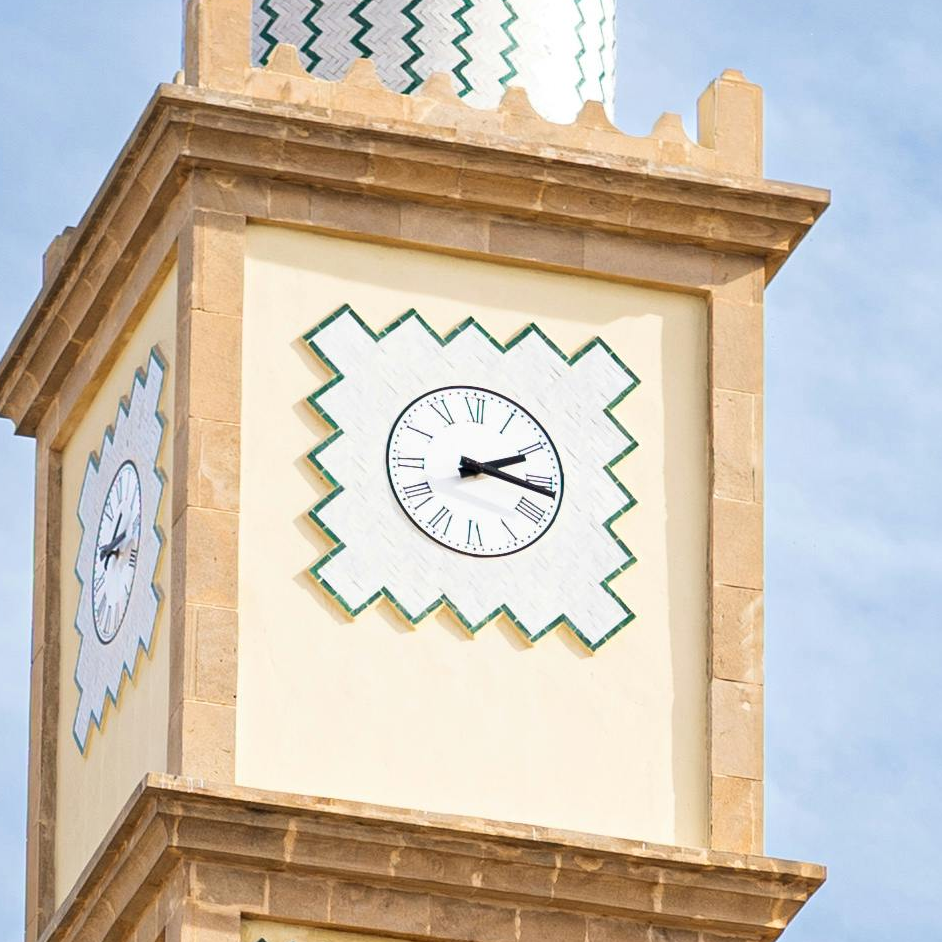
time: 2:17
